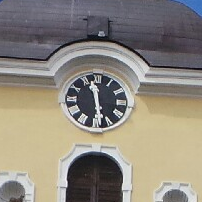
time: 11:28
